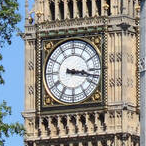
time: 3:17
